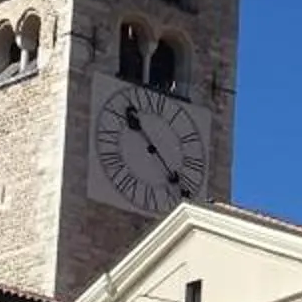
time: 10:22
